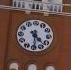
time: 4:29
